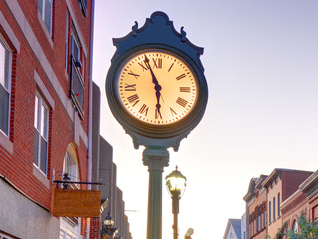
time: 5:56
